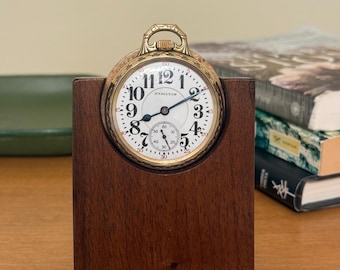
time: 8:10
